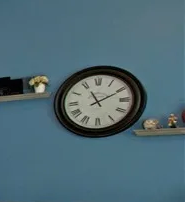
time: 11:10
